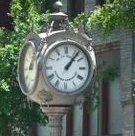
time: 1:06
